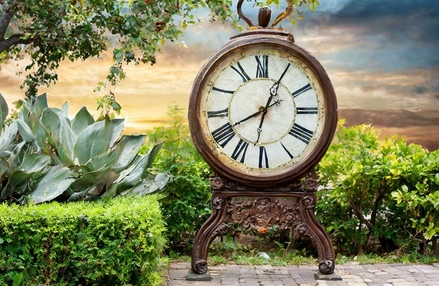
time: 8:04
